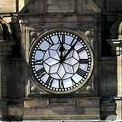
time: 12:06
